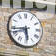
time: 5:43
